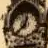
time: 12:37
